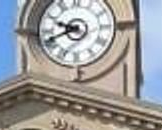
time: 9:41
